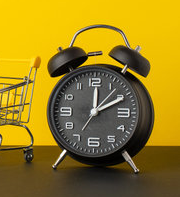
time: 12:10
